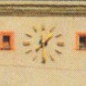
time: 7:30
